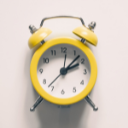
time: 2:07
